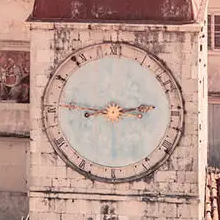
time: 2:46
